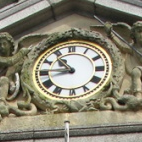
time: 10:45
